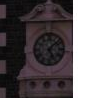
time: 5:07
